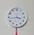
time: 3:43
